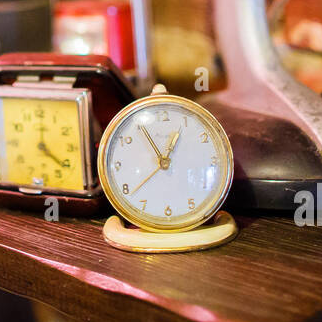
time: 12:54
